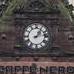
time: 1:13
